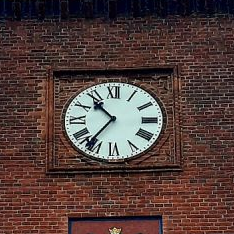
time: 10:36
